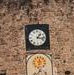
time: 1:16
